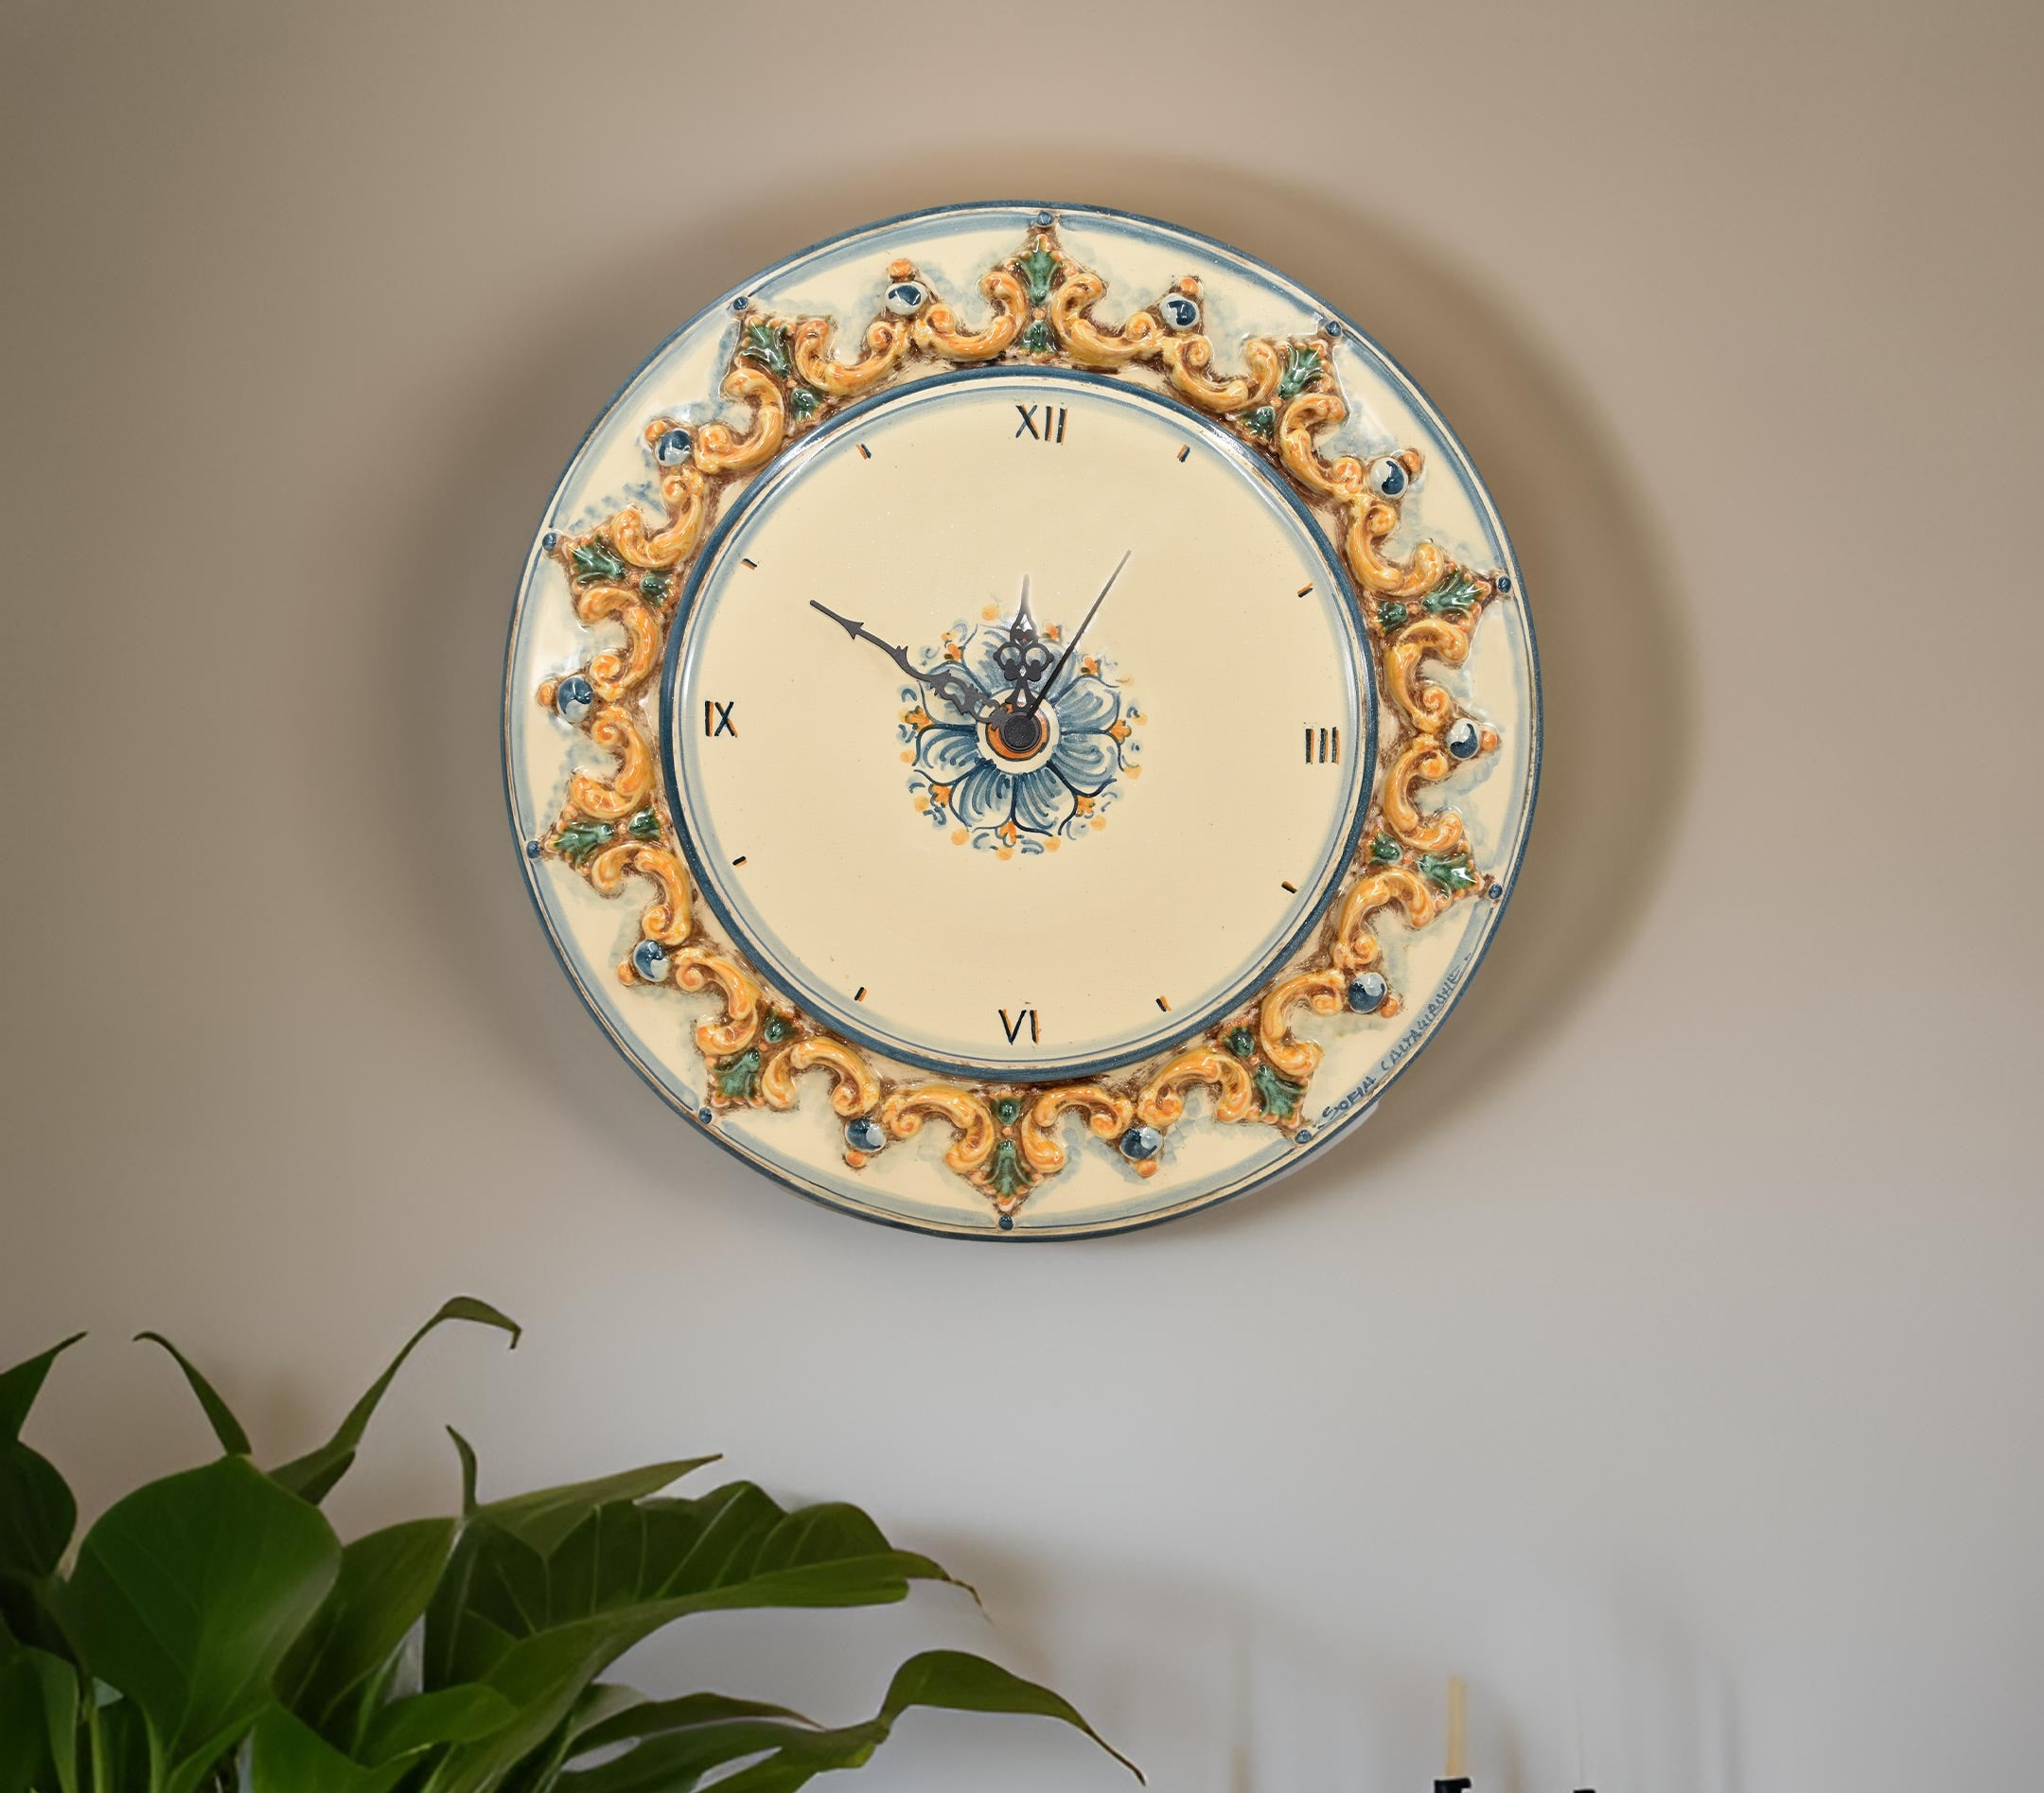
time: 11:50
